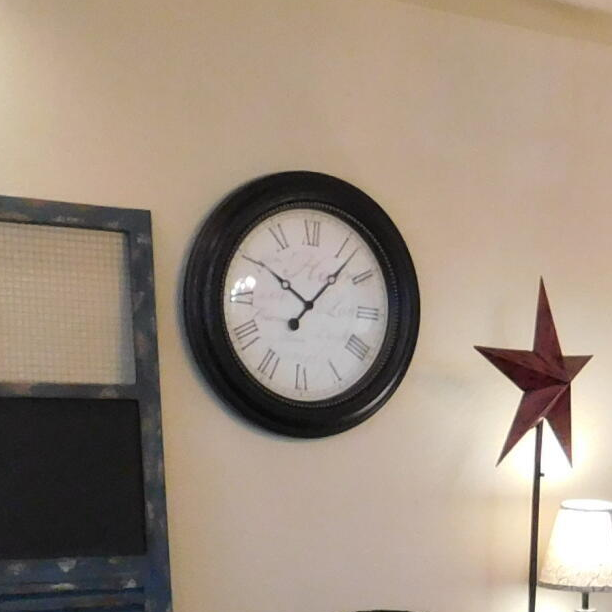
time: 10:06
